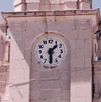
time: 1:29
